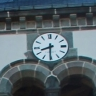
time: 8:30
